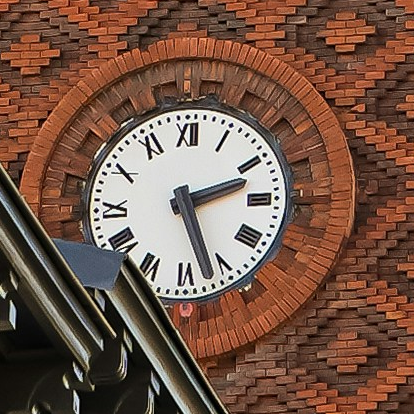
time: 2:27
